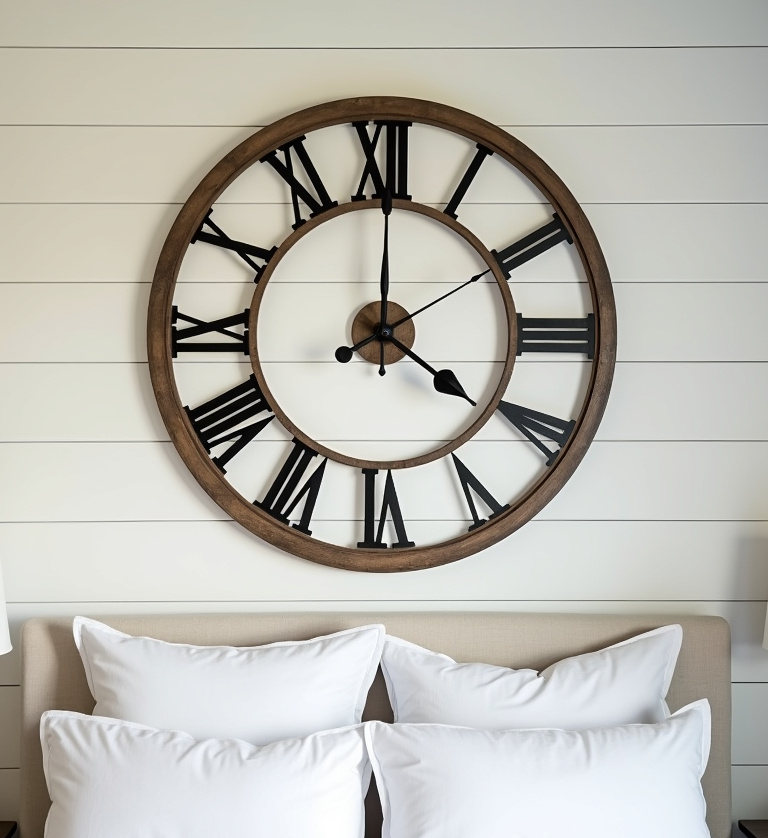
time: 4:00
